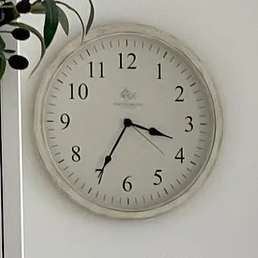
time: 3:34
